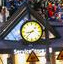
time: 8:37
